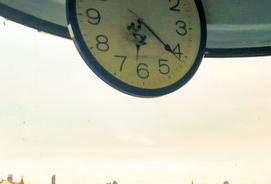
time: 6:21
